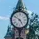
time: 4:50
